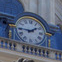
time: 1:45
